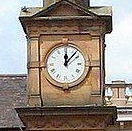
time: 12:07
